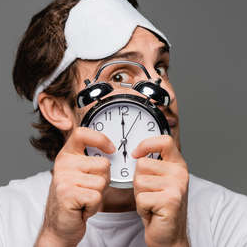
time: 5:59
